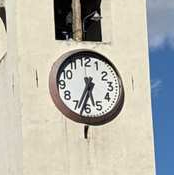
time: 5:34
